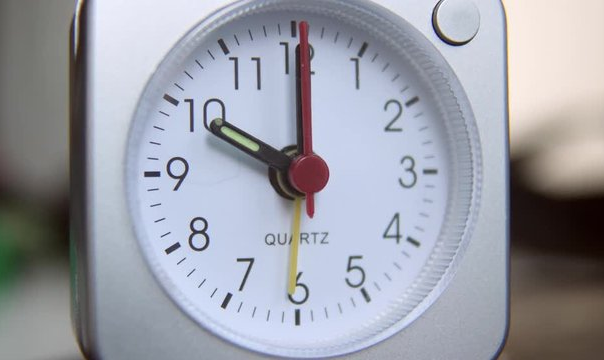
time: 10:00
